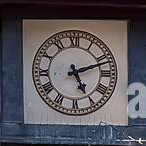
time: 5:11
